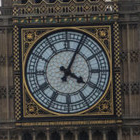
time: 4:04
